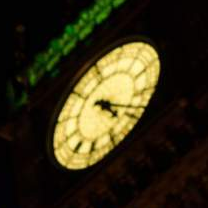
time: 4:18
